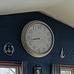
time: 8:42
